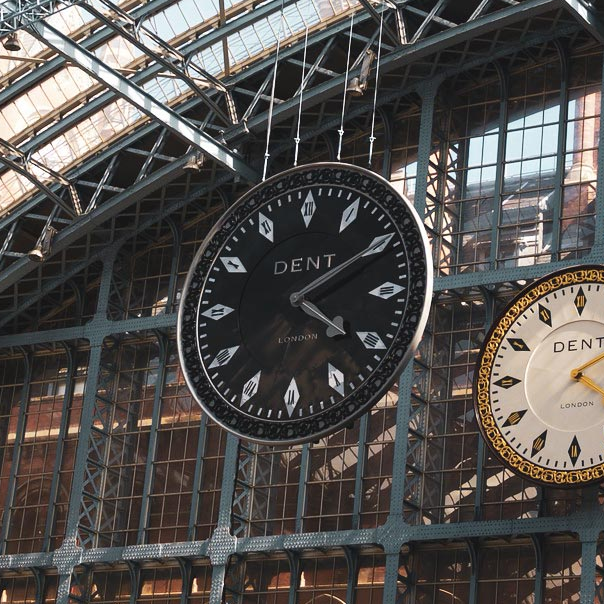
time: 4:10
